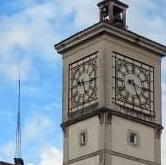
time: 5:15
